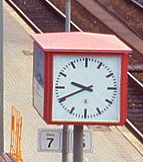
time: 9:40
